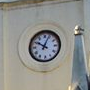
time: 10:03
